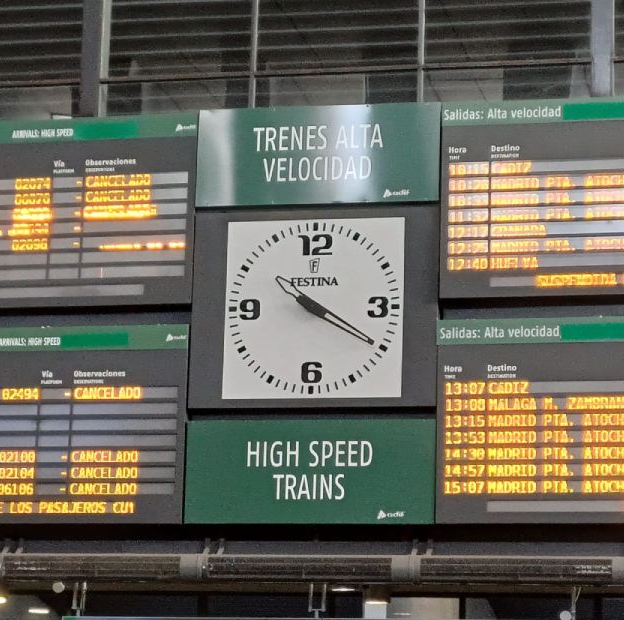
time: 10:20
